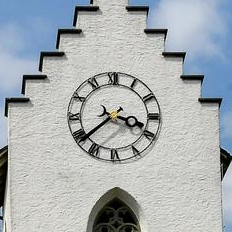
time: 3:38
